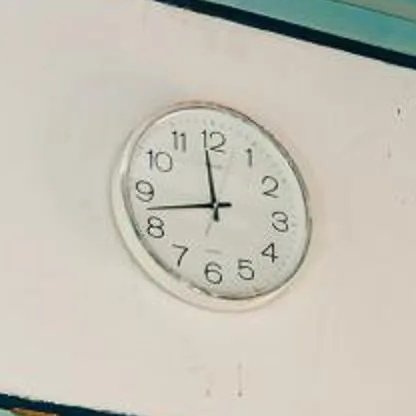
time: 11:42
